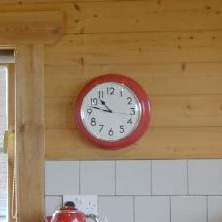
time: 10:47
